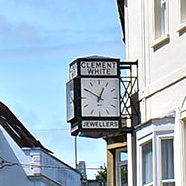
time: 12:49
